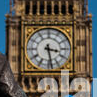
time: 3:28
